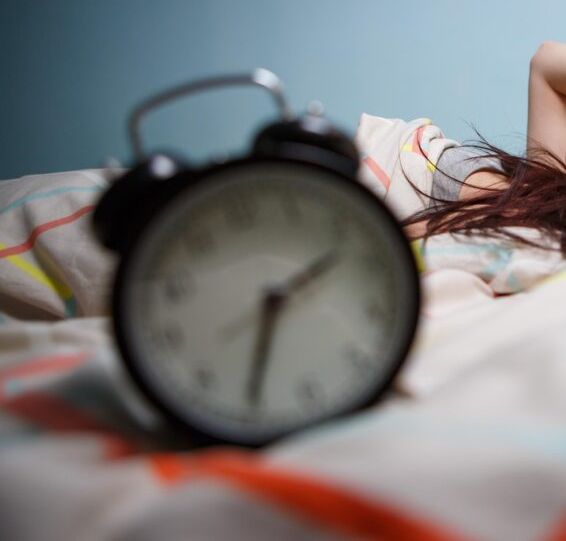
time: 1:30
